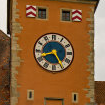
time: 8:25
